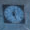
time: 12:26
